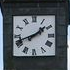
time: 1:41
